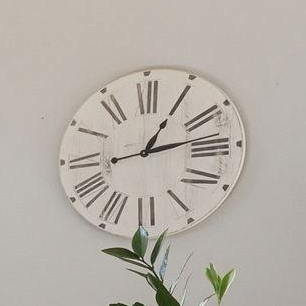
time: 1:13
